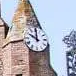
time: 10:00
